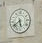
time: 5:38
